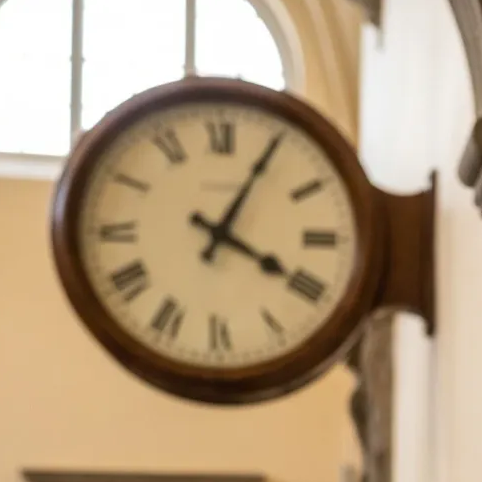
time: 4:04
